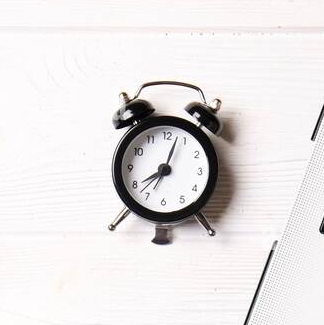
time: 8:03
